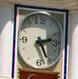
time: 2:25
